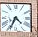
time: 4:34
